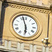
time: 5:57
